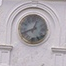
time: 12:41
